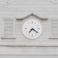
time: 7:20
